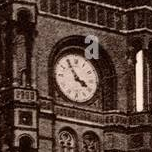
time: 3:54
